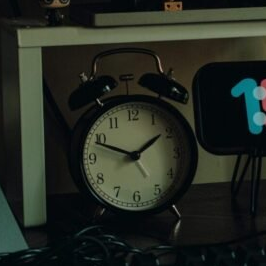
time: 1:48
